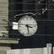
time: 3:28
